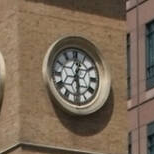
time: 12:28
